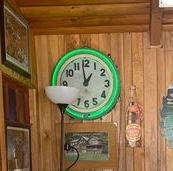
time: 12:58
